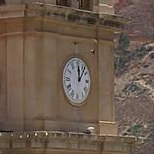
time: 12:07
